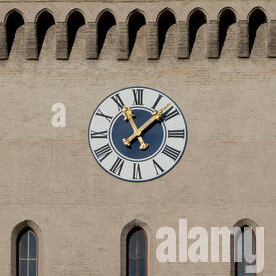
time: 11:08
